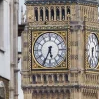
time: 5:34
